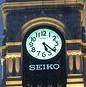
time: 5:21
